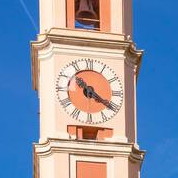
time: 10:20
